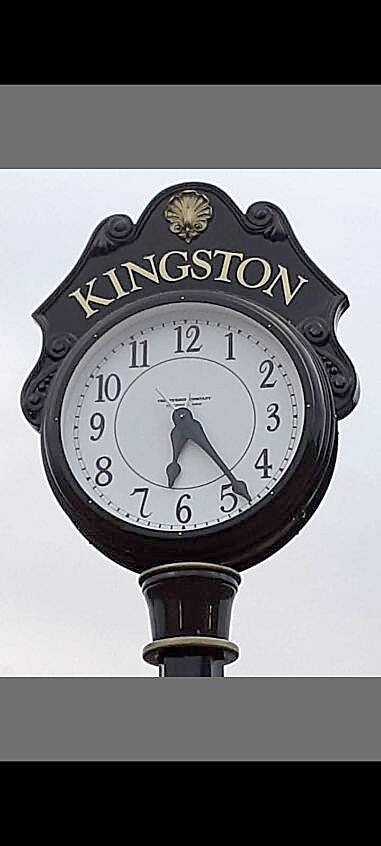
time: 6:23
